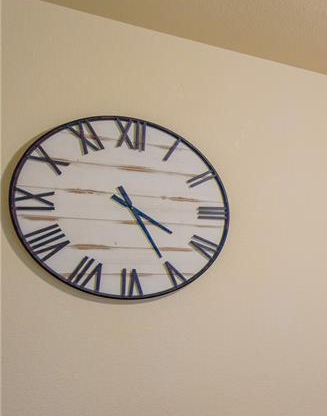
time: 4:25
